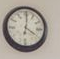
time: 4:01
